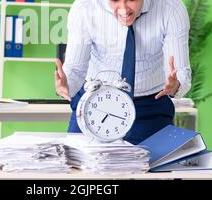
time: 7:17
